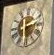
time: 2:29
